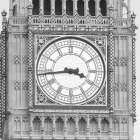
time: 3:43
